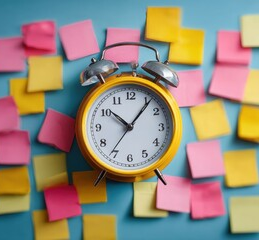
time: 10:06
